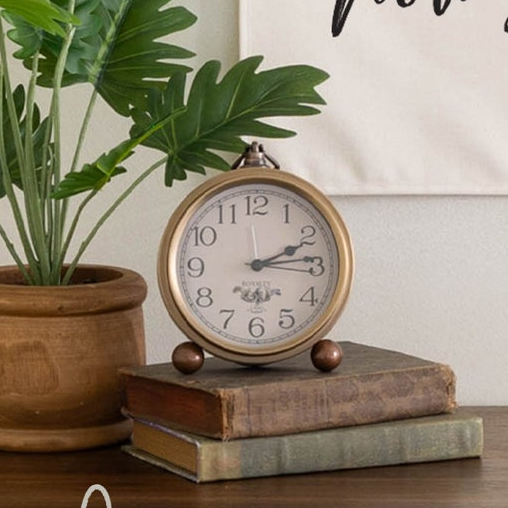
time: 2:14
